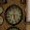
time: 5:26
